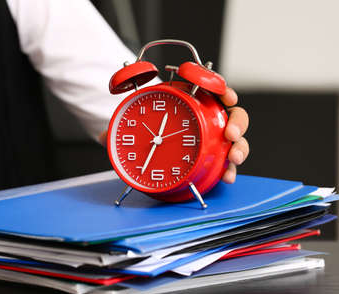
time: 12:34
